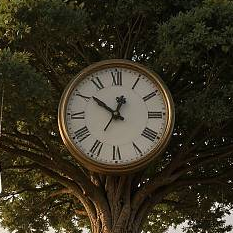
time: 12:51
